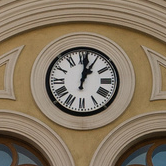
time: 1:01
